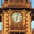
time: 6:03
